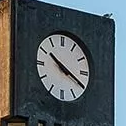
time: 10:19
